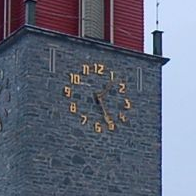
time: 1:26
